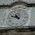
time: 10:47
